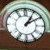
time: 1:09
